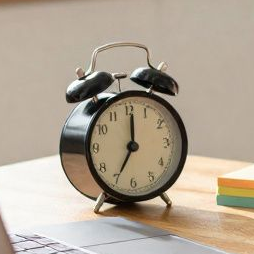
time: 7:01
